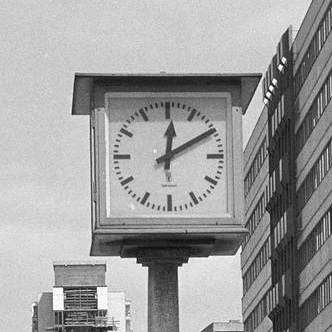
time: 12:10
